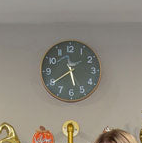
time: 5:39
